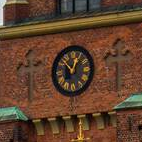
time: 12:52
